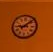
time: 9:08
